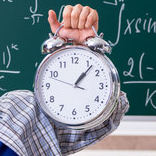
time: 1:06
